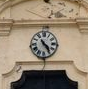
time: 4:23
